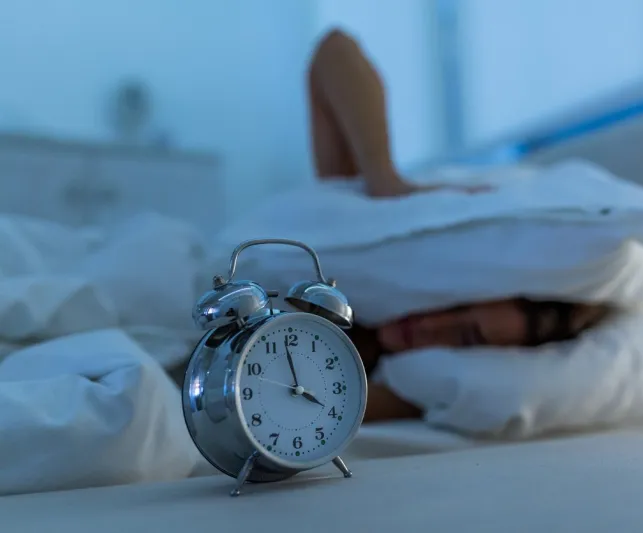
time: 3:58
